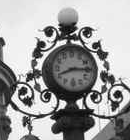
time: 8:14
